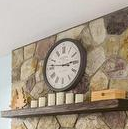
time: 2:46
